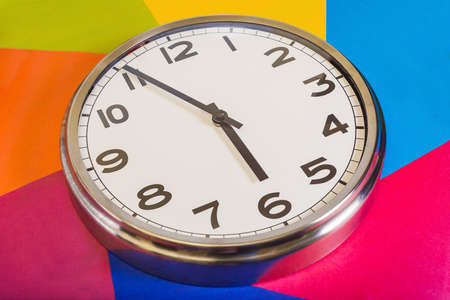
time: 5:55
